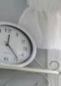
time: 12:23
